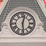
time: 12:28
